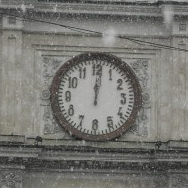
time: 12:01
